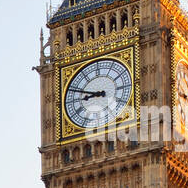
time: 8:48
